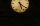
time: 5:21
